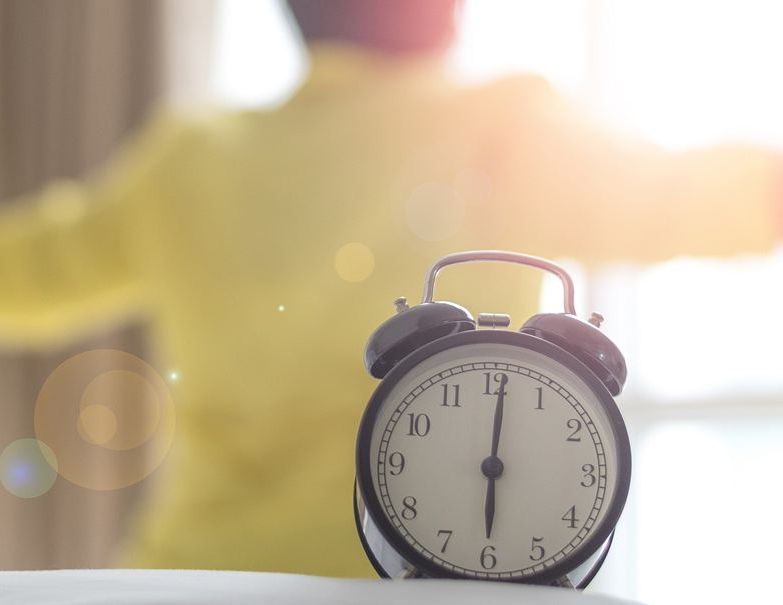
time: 6:00
